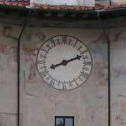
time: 8:11
